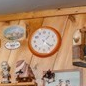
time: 1:21
